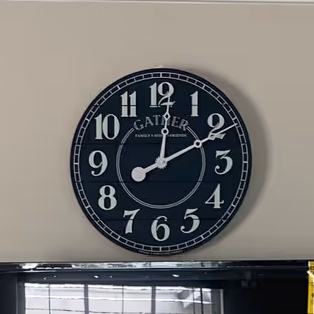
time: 12:10
